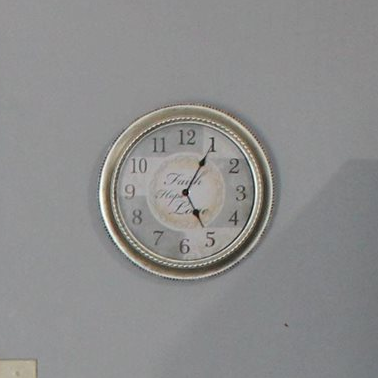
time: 5:05
